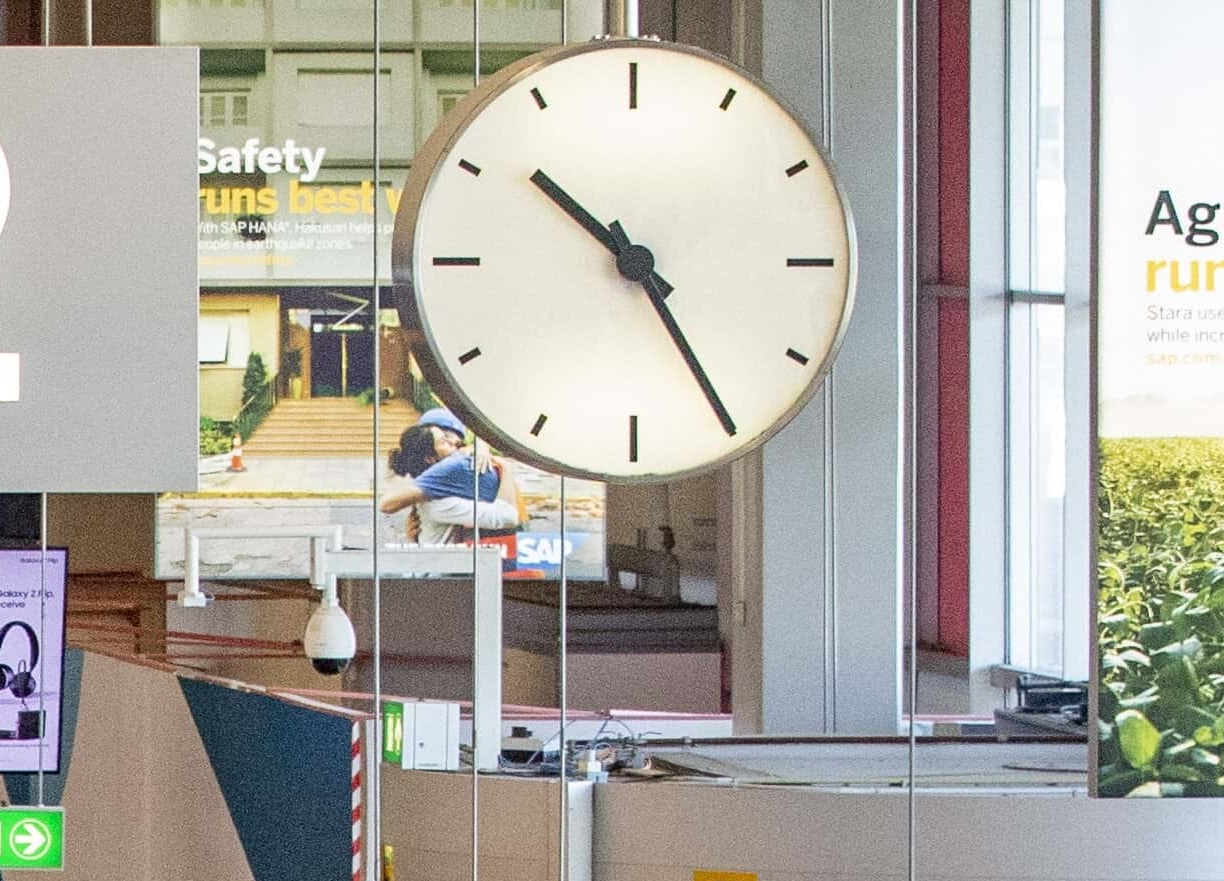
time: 10:24
